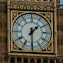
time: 1:29
